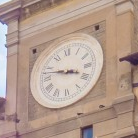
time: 3:47
